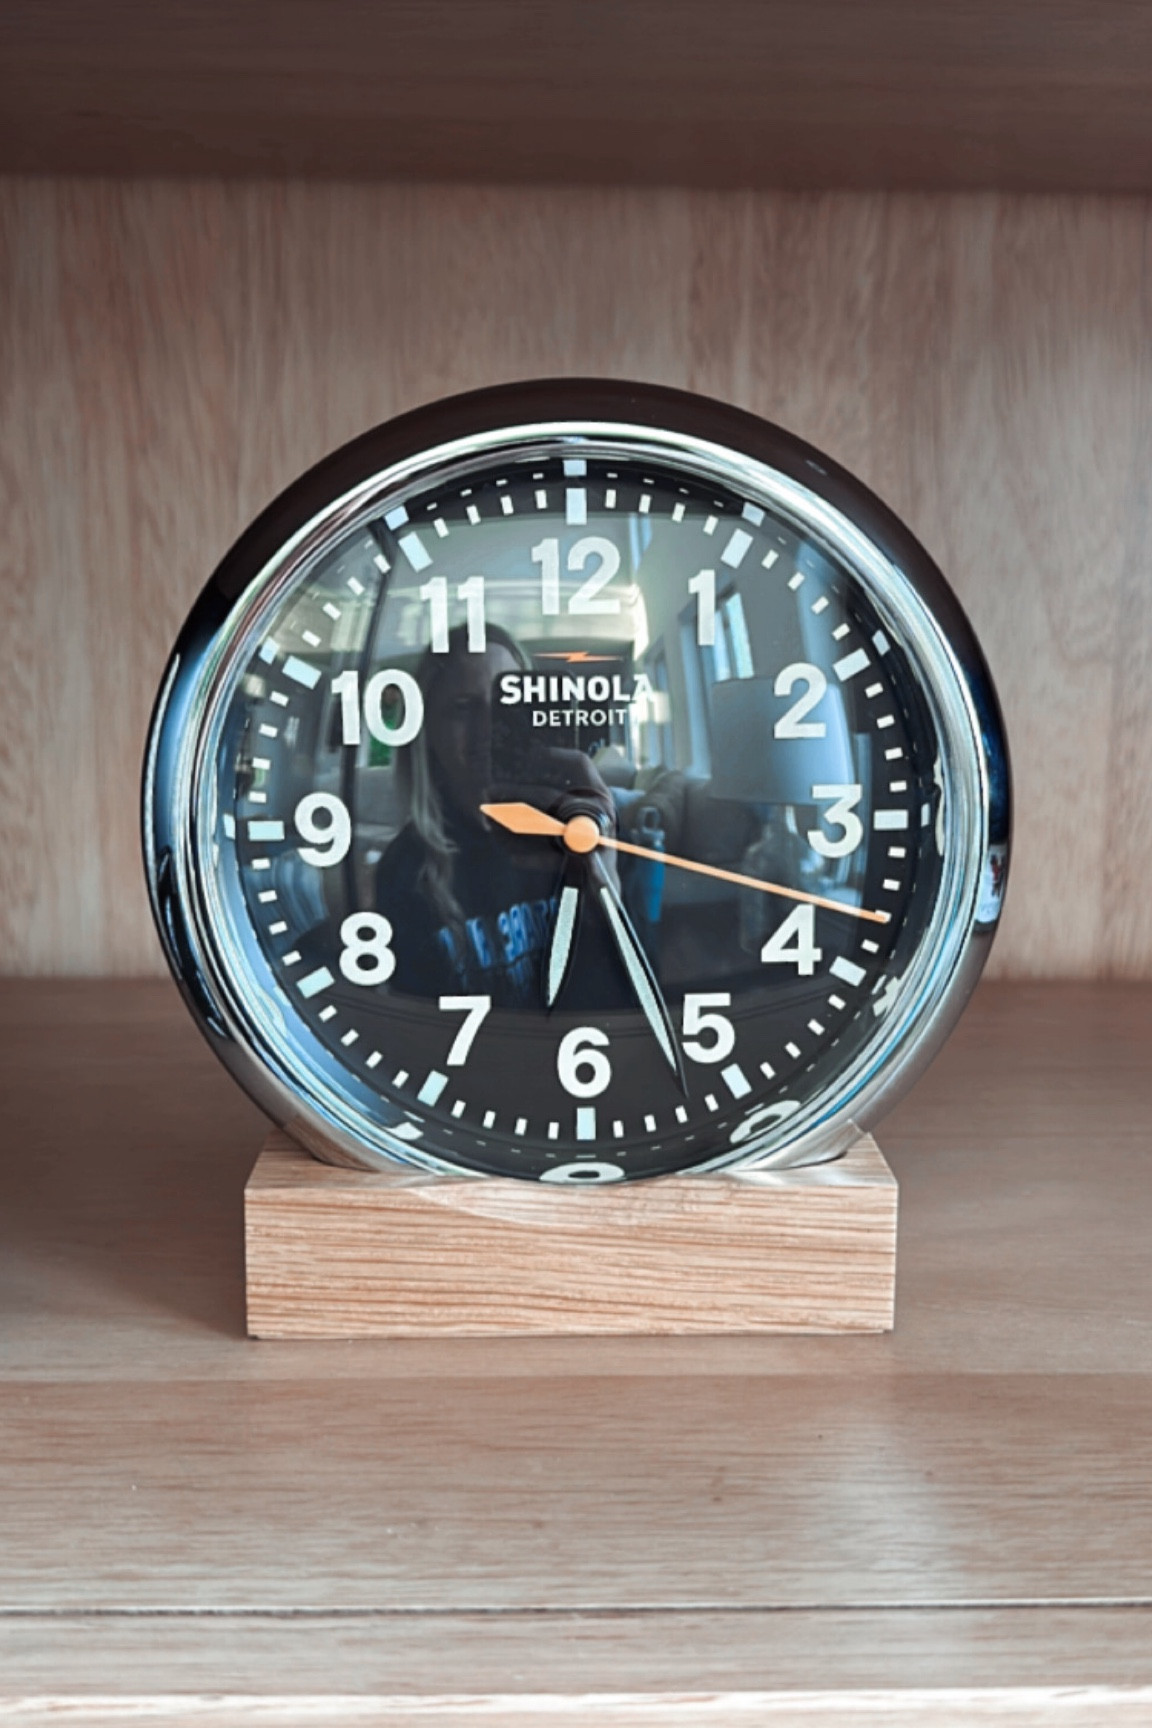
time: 5:17
